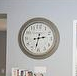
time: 2:32
